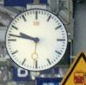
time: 9:47
